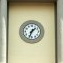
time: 1:33
